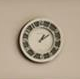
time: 1:09
